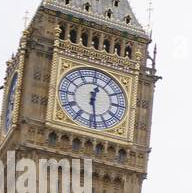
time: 12:28
